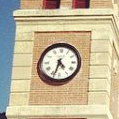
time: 4:33
